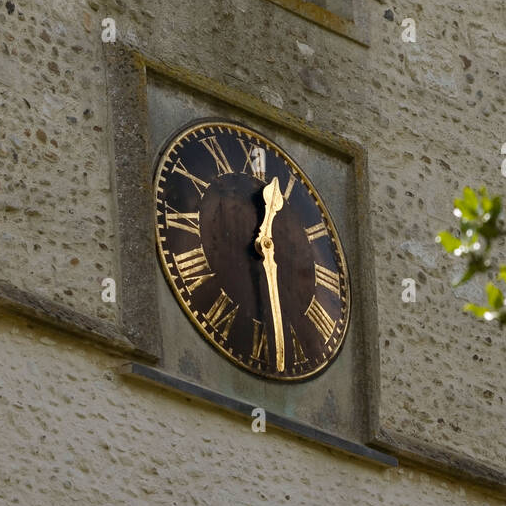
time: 12:27
